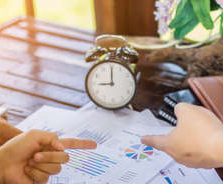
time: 9:00
